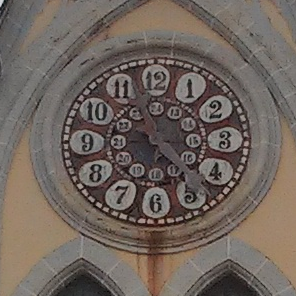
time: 4:22
